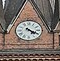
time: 4:19
